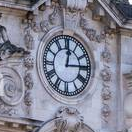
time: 12:14
